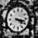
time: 4:17
